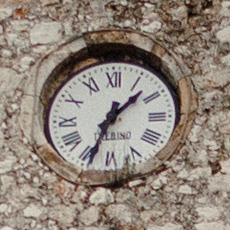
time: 1:33
